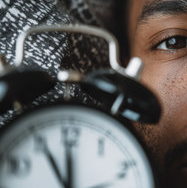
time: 11:55
